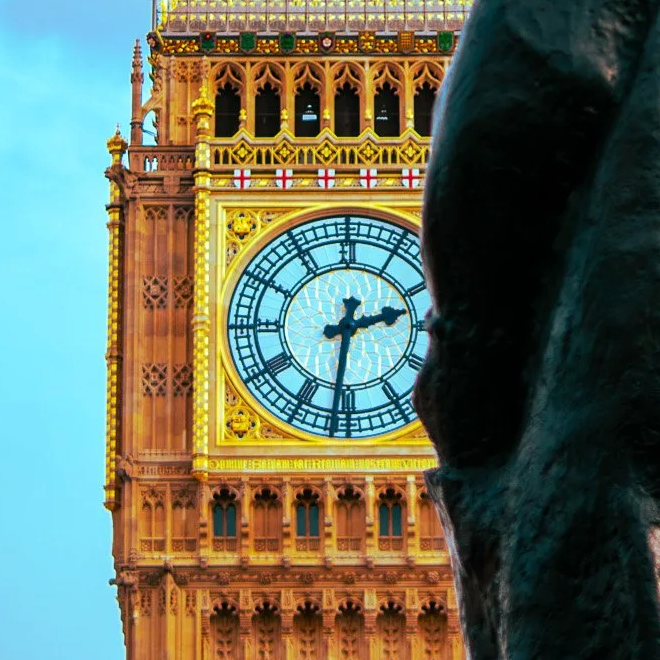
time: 2:31
